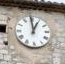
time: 12:59
